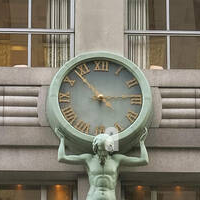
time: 2:53
